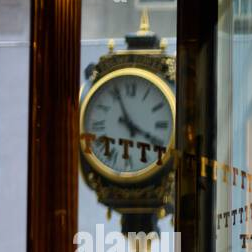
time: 3:56
